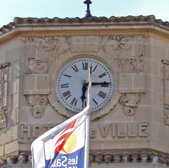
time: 6:14
